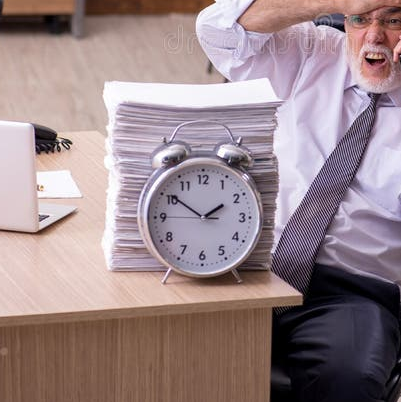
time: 1:50
